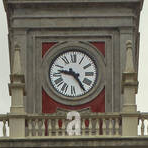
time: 9:24
